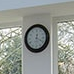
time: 12:19
